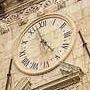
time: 4:57
